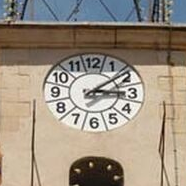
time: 3:09
